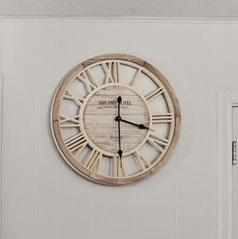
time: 3:29
